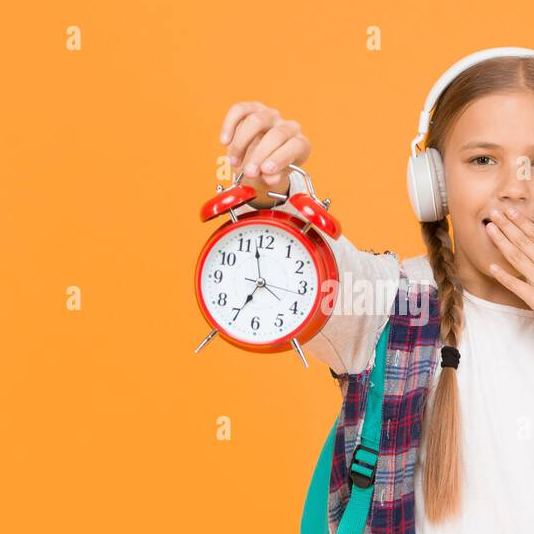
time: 6:57
